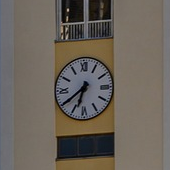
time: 6:39
